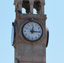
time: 12:15
